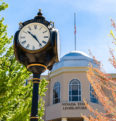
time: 10:23
